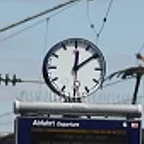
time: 12:09
